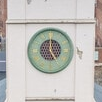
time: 4:59
